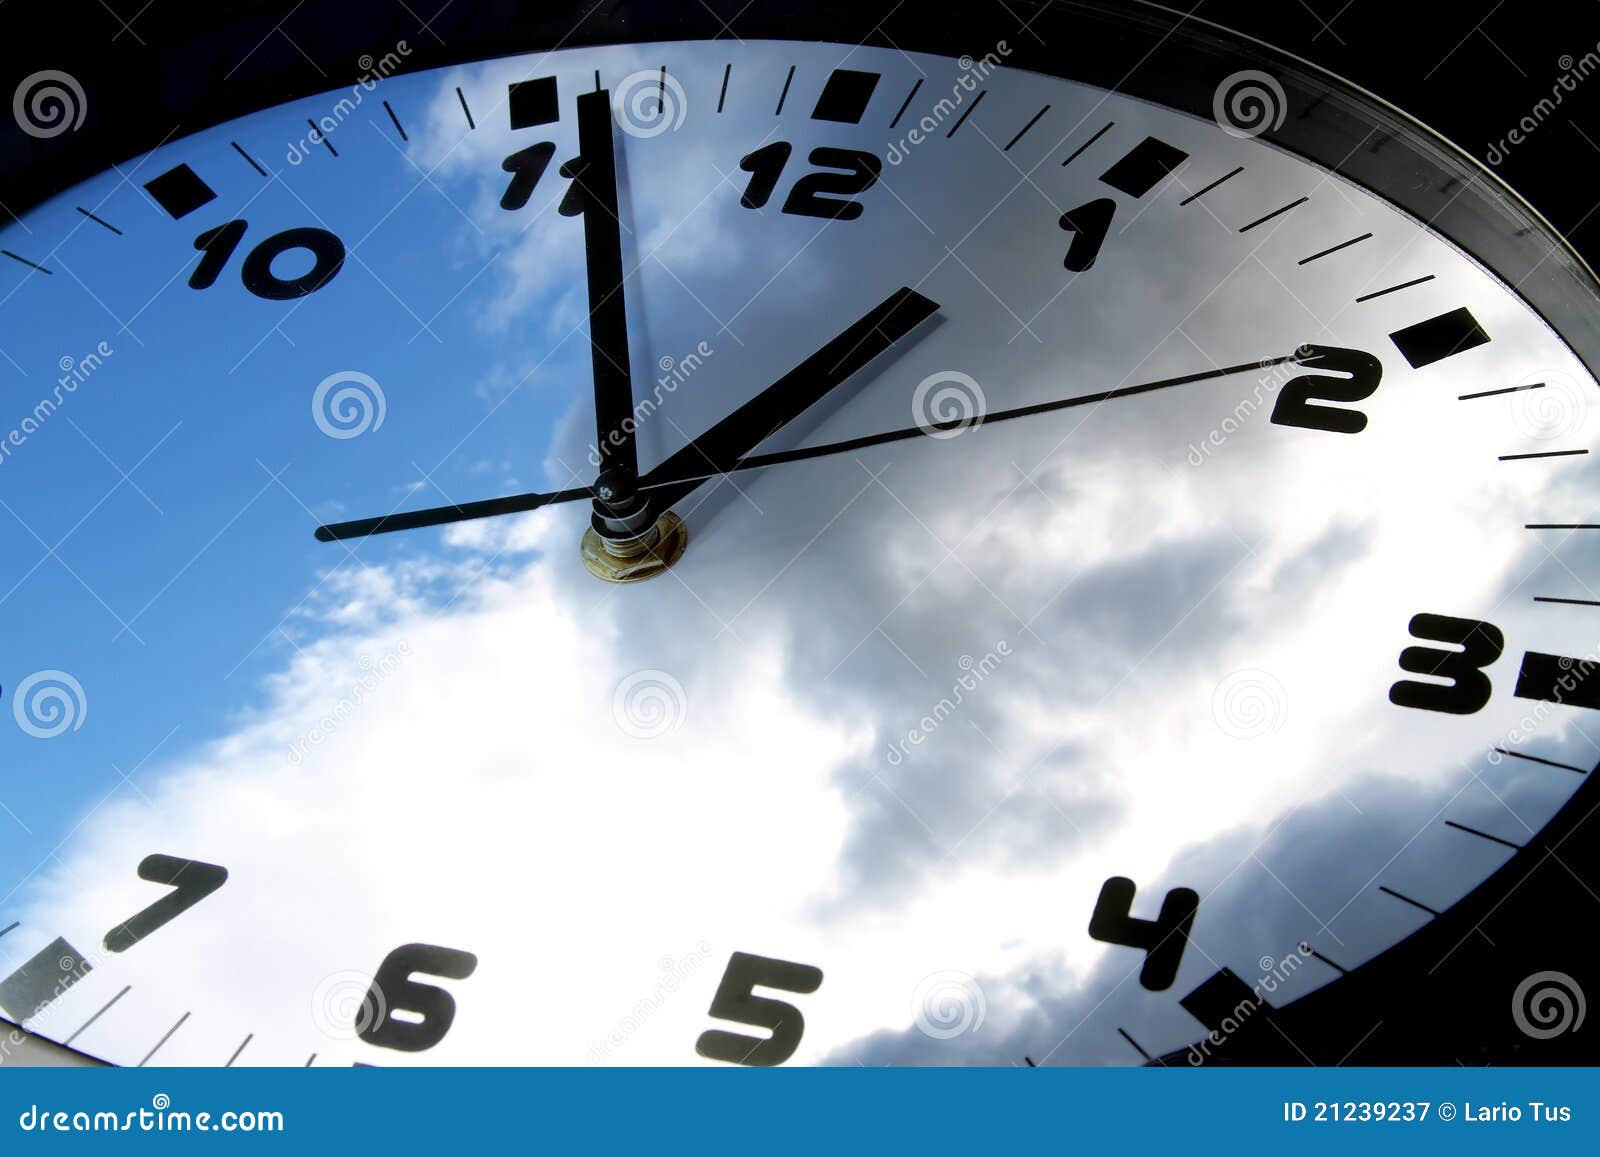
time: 12:56
